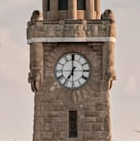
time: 6:59
